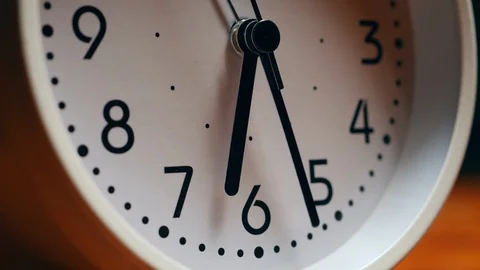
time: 6:26
